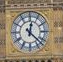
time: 12:22
